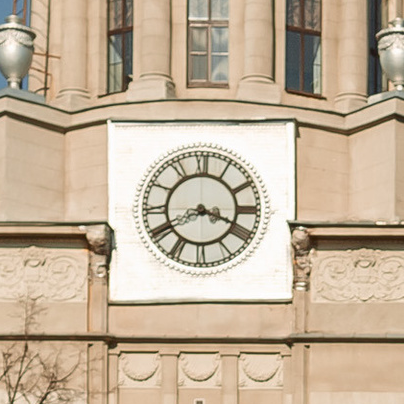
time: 3:40
